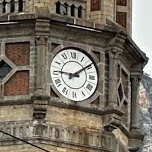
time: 9:09
